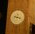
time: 9:17
